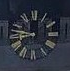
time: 8:47
